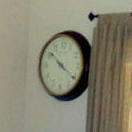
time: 10:20
